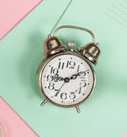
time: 9:08
